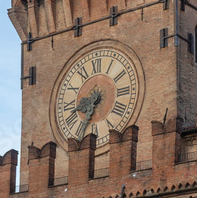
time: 8:34
